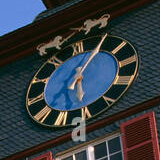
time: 5:05
